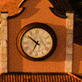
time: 6:51
